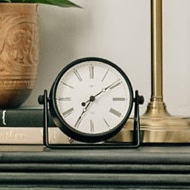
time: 7:09
